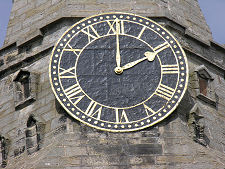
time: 2:00
